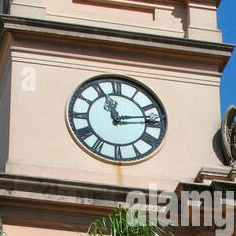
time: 11:13
